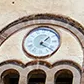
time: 1:21
